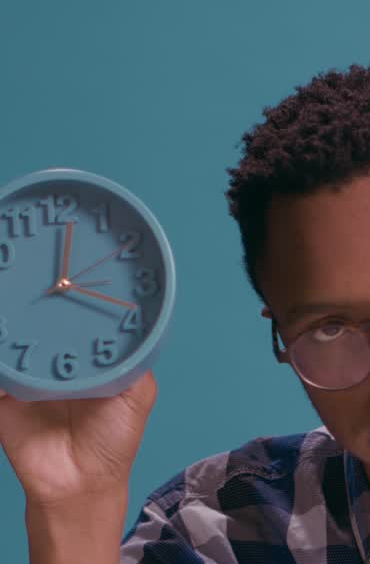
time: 12:18
